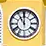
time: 11:00
